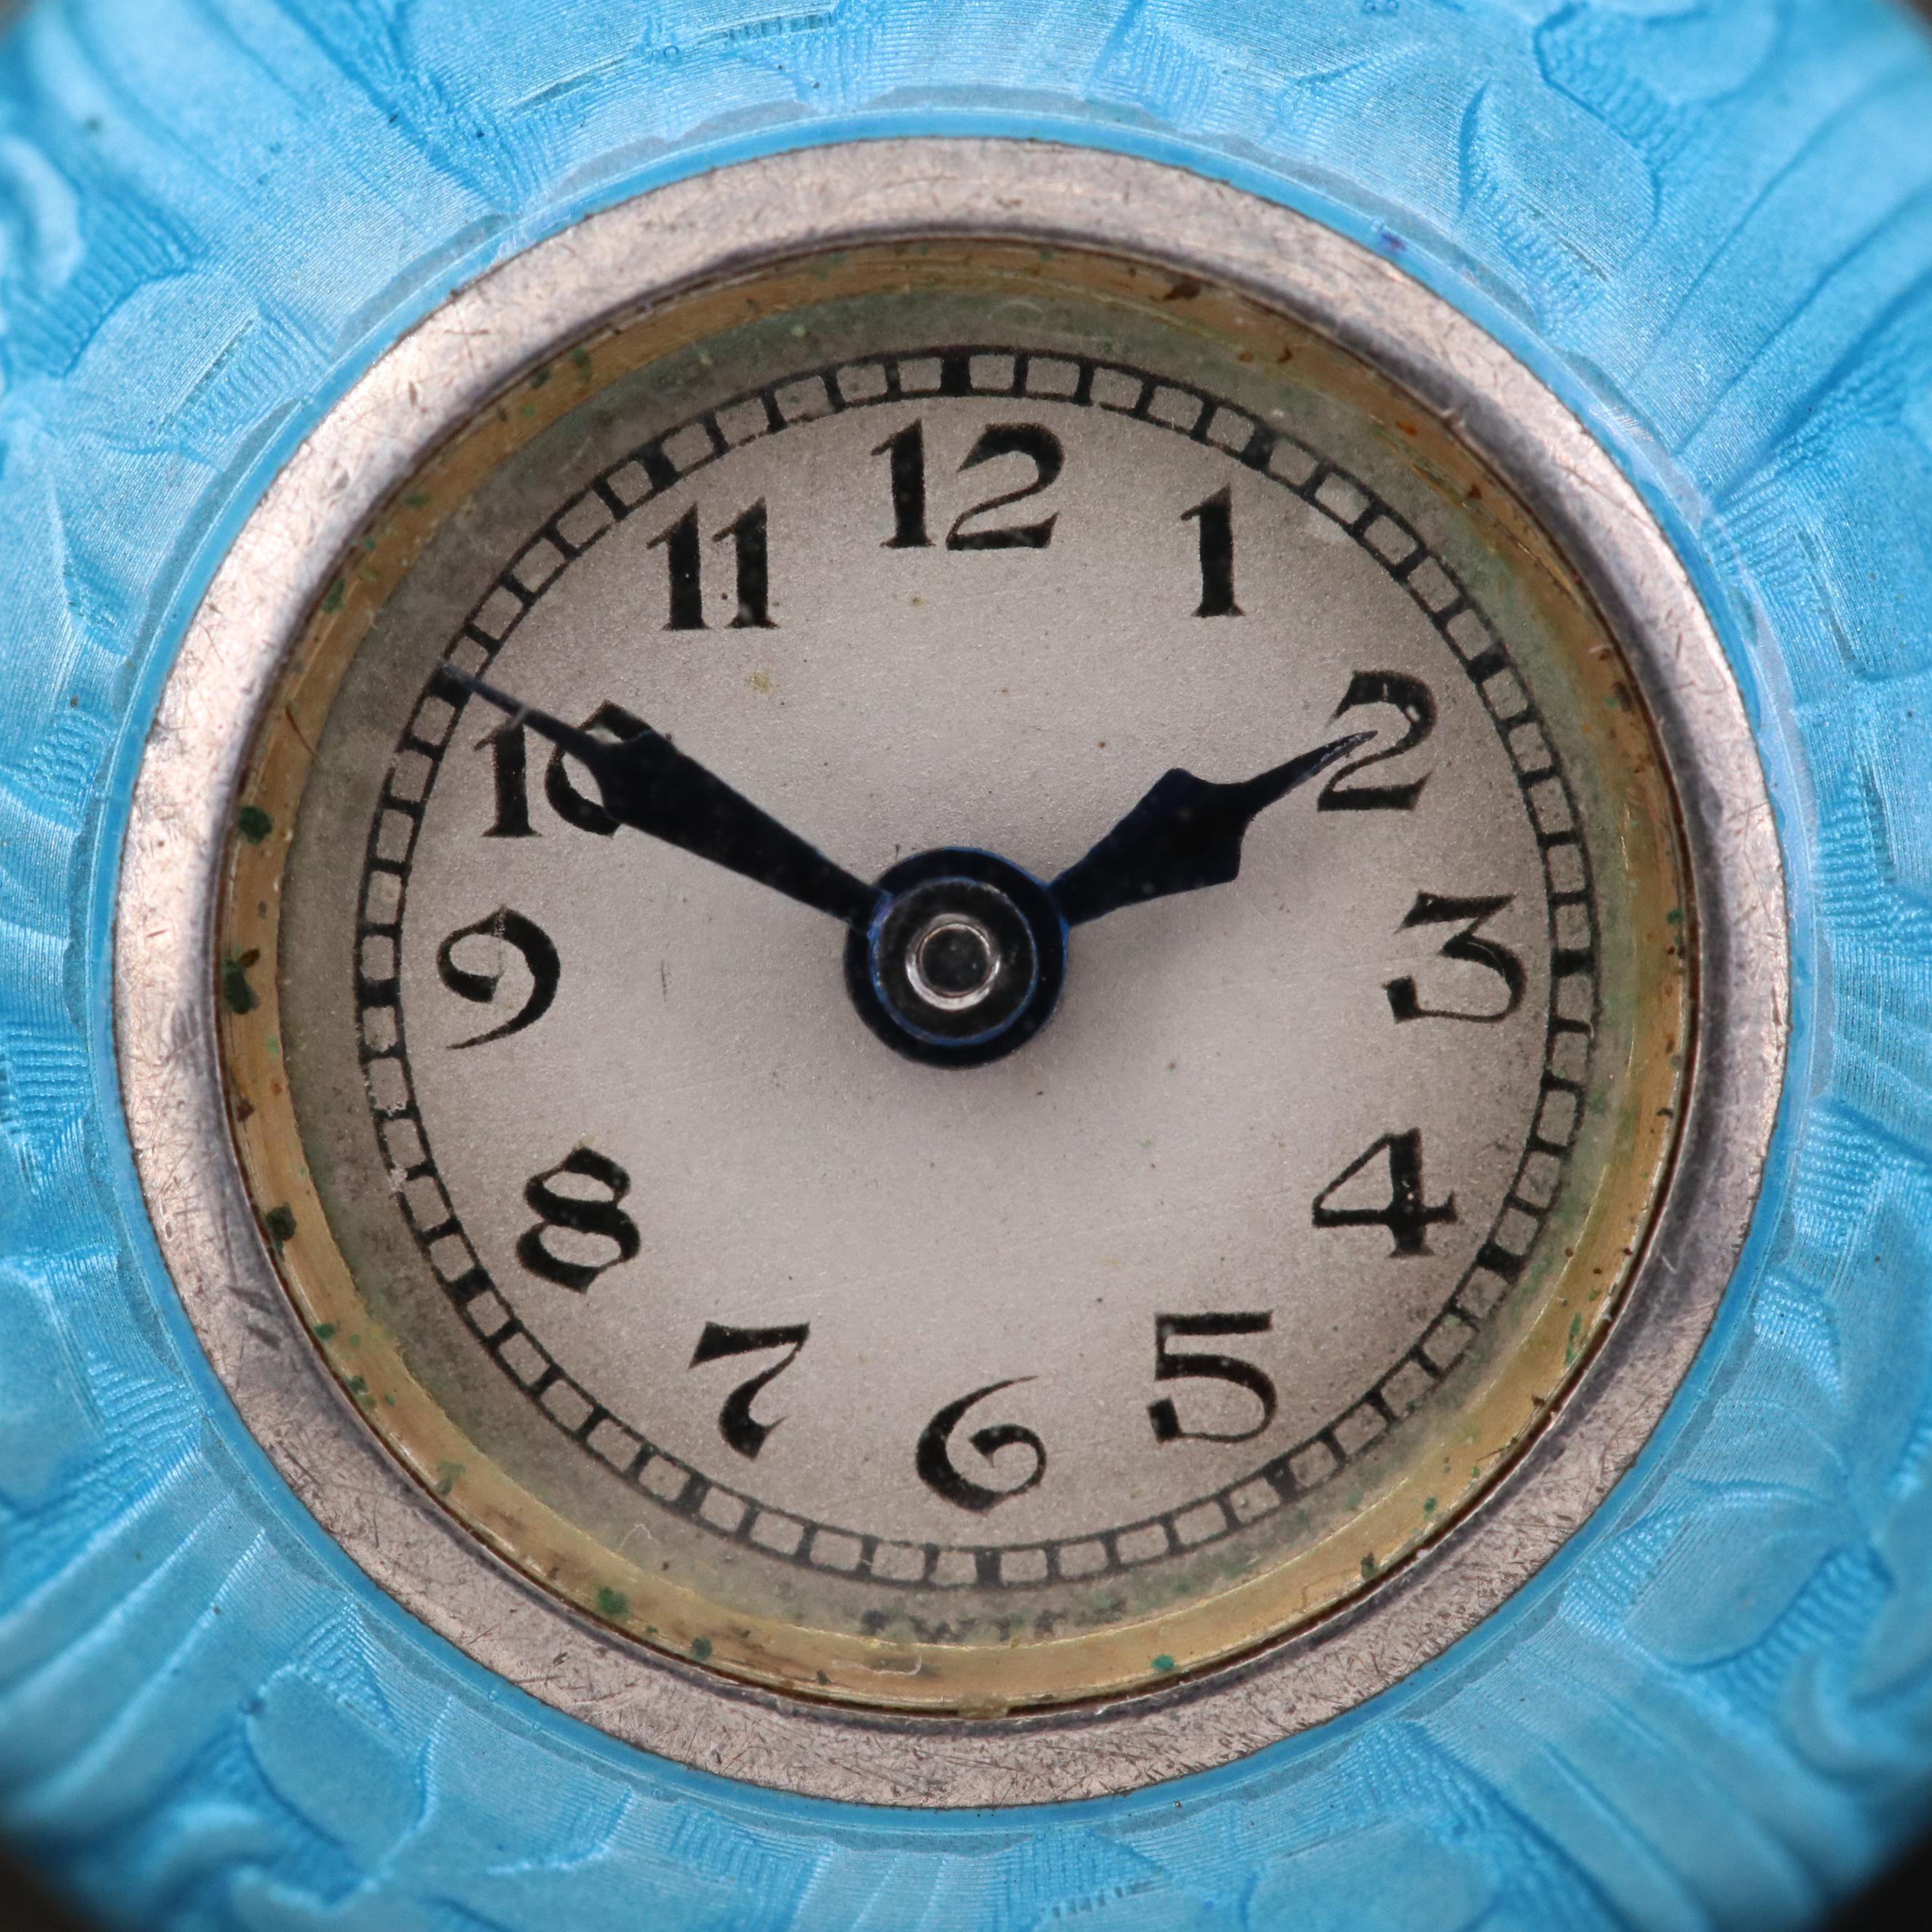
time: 1:50
